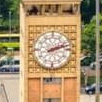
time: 2:11
